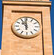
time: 10:59
